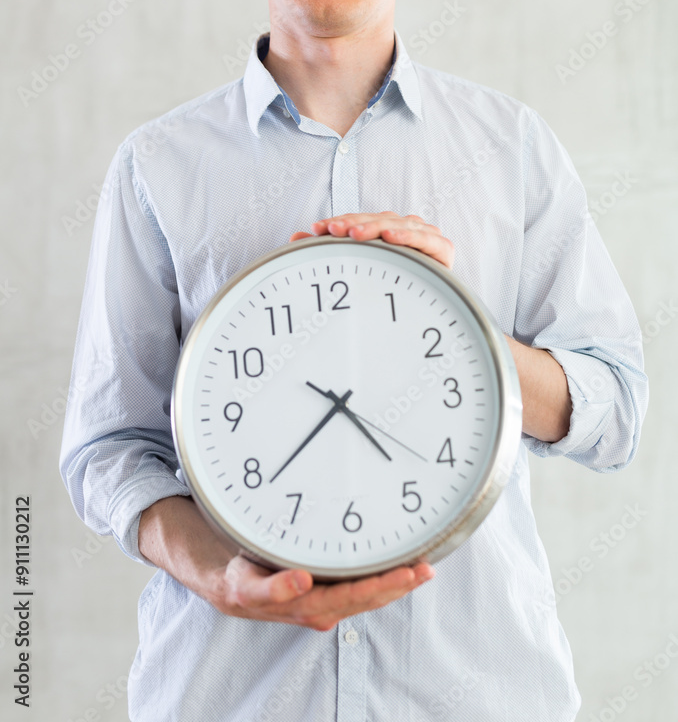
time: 4:38
